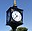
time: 10:37
